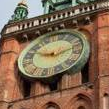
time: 9:12
